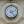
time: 2:23
